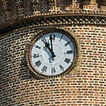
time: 10:59
